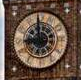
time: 8:58
